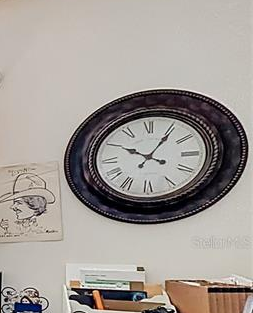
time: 10:05
